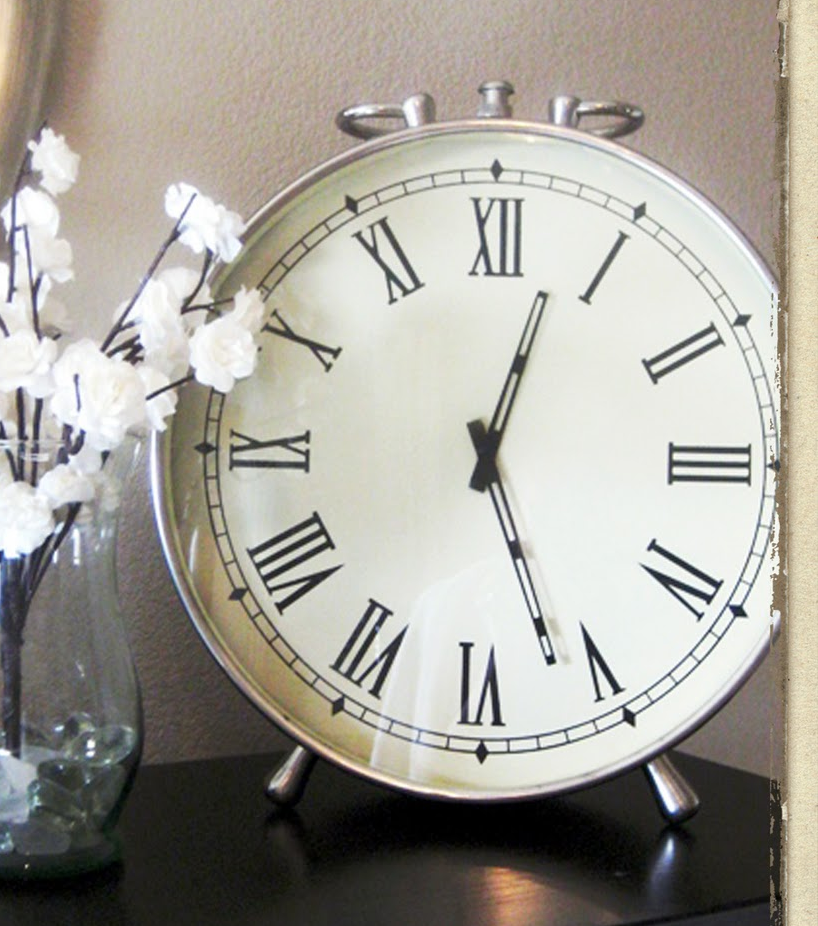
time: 12:26
